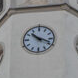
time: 10:18
